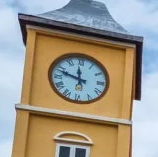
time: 11:48
